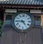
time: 4:45
